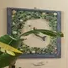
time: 8:16
